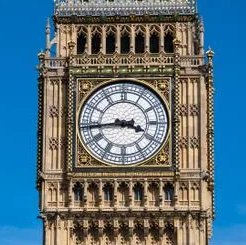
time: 3:43
